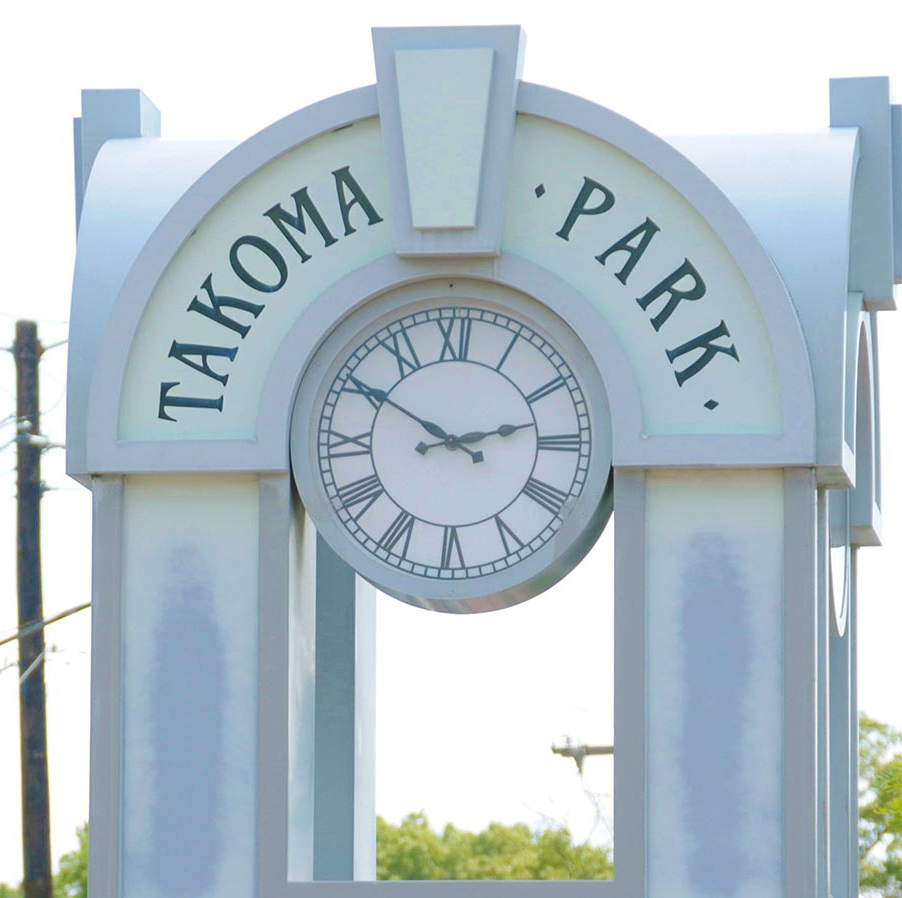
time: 2:50
